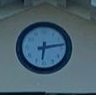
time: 6:13
